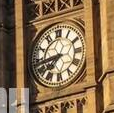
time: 7:43
